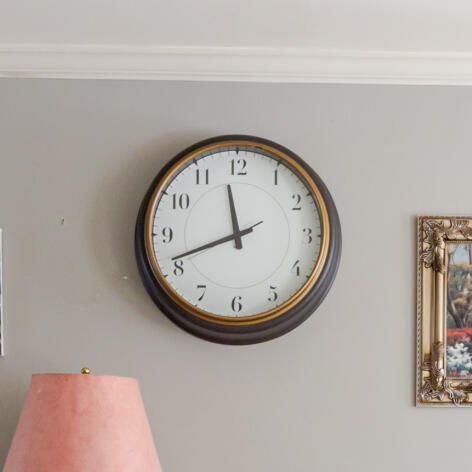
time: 11:41
